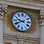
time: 9:41
